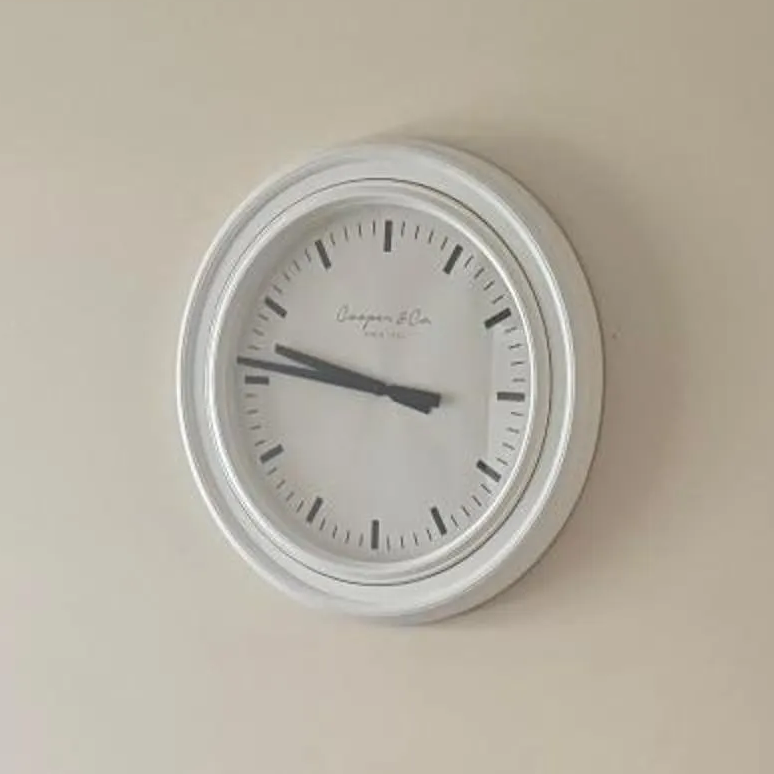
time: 9:46
